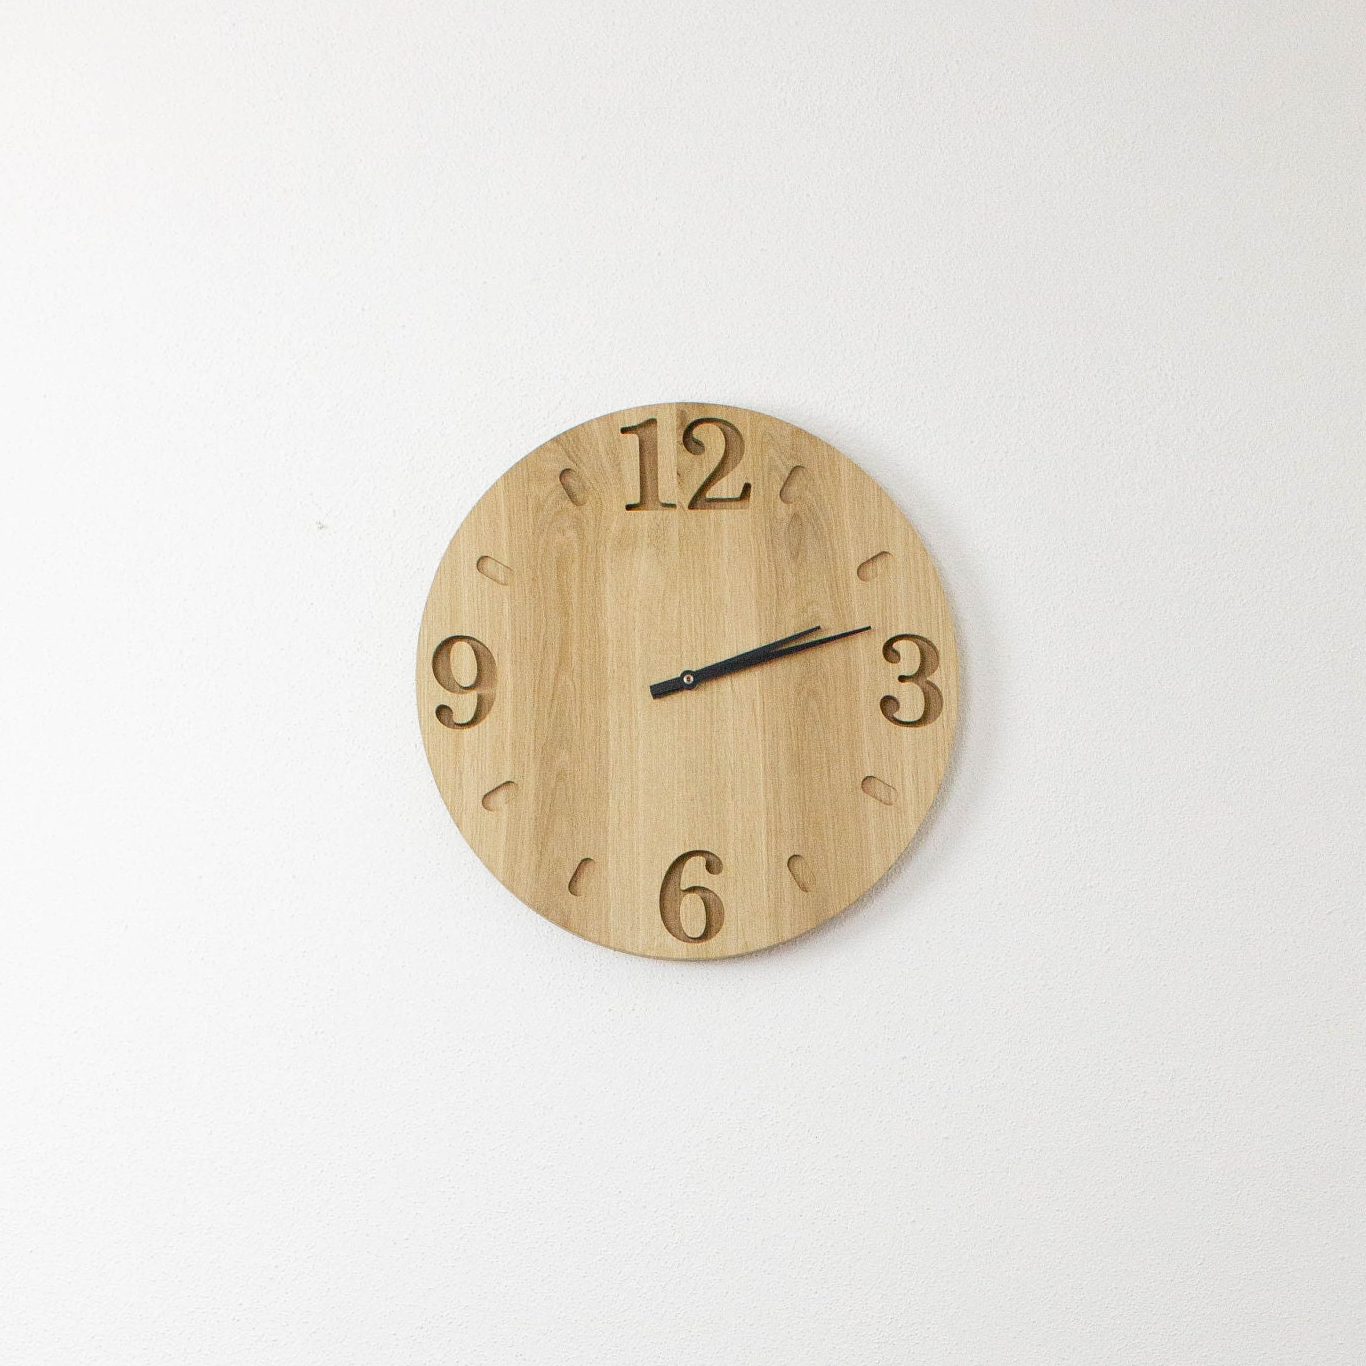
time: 2:12
